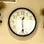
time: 12:28
